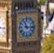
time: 11:14
